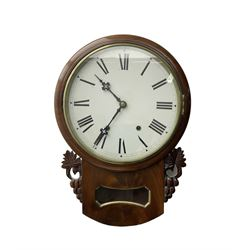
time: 10:35
